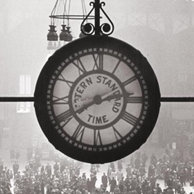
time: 2:40
